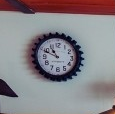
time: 10:48
